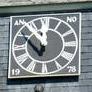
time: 11:52
